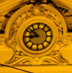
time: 8:51
